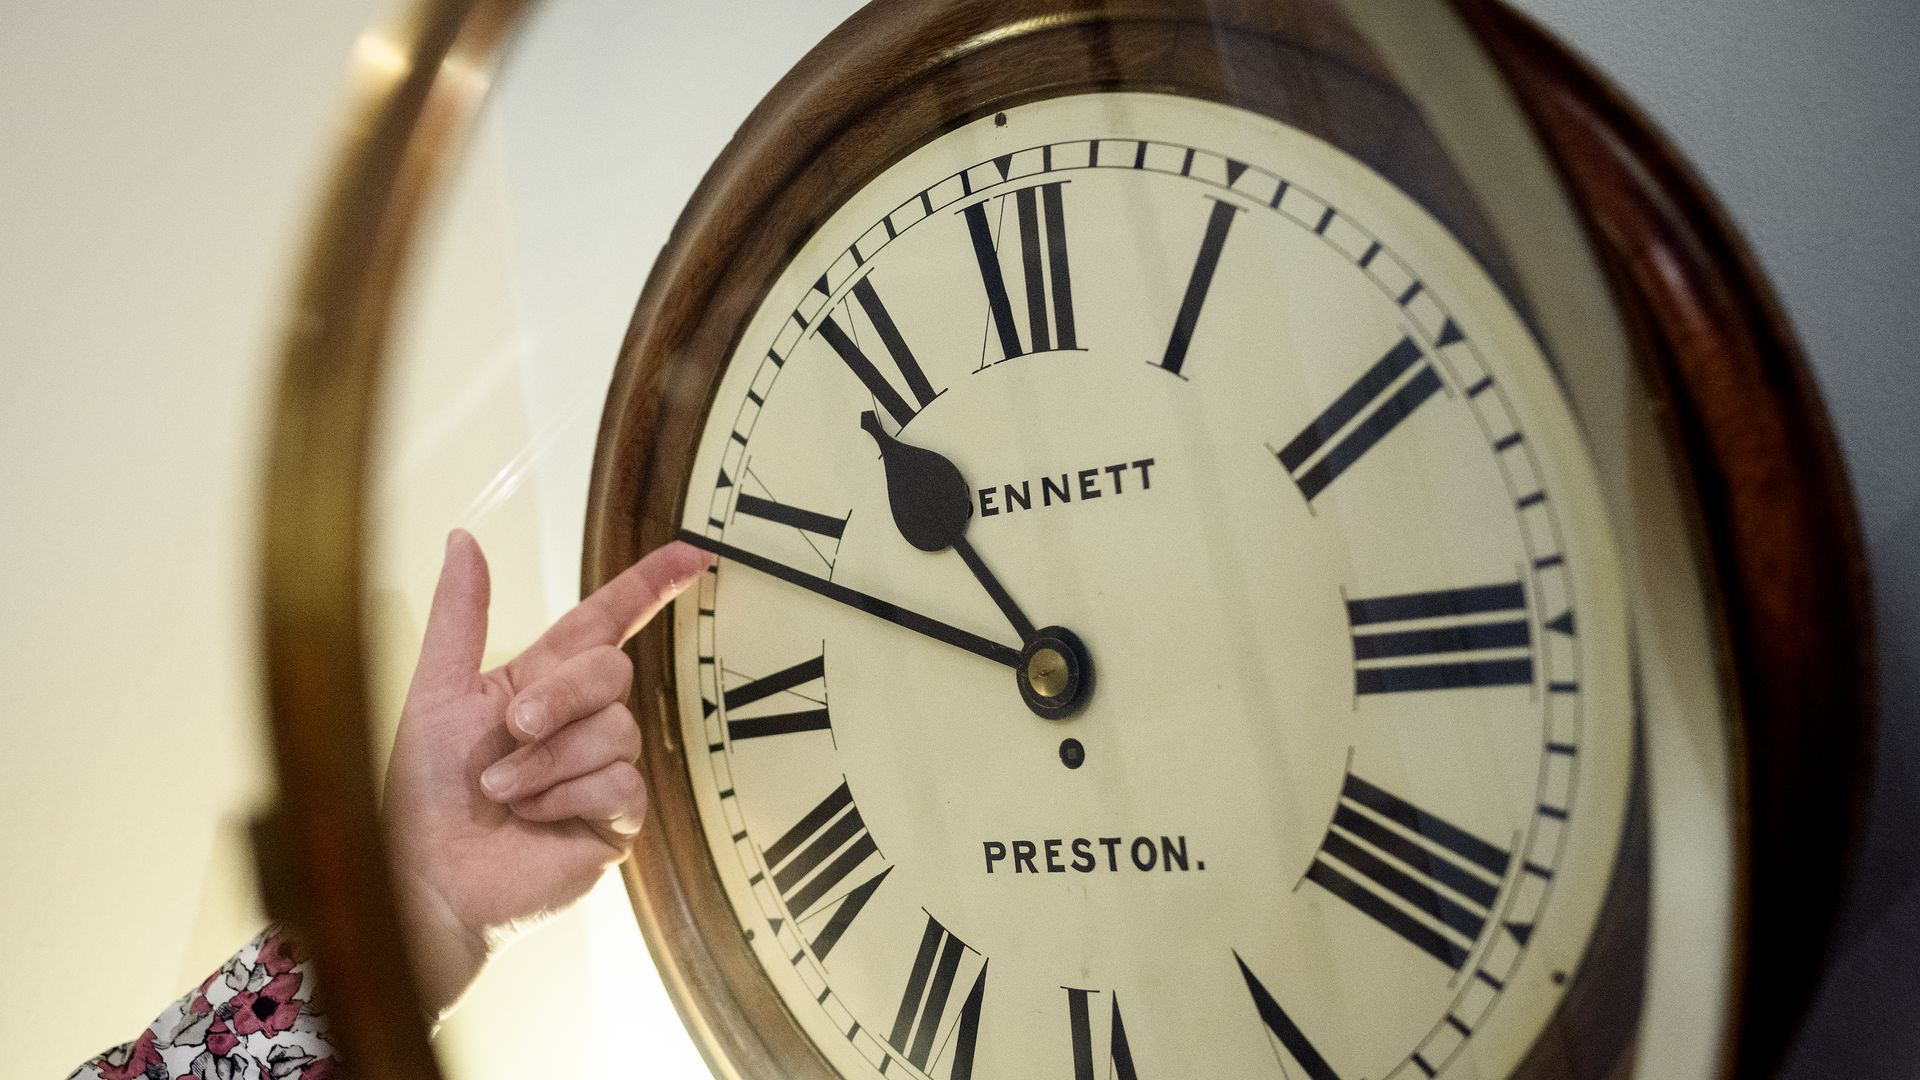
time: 10:48
